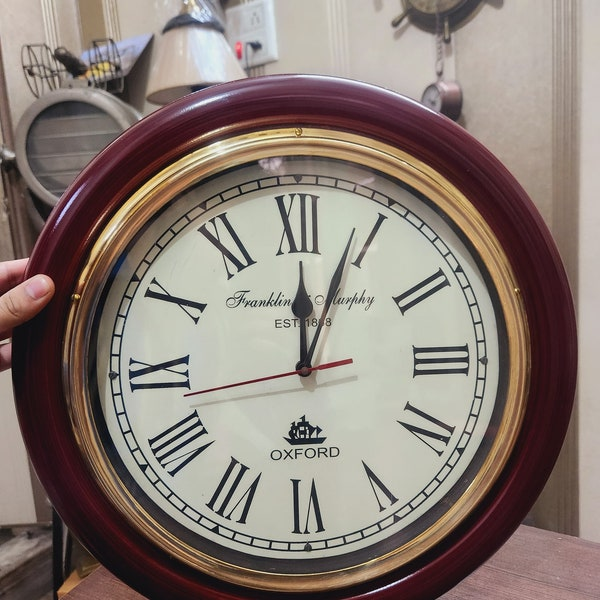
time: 12:03
